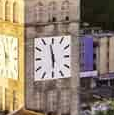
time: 5:58
